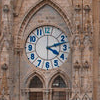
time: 4:12
